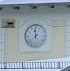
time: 11:37
